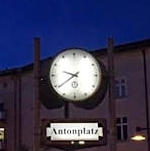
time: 9:39
